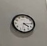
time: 4:14
